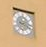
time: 2:18
